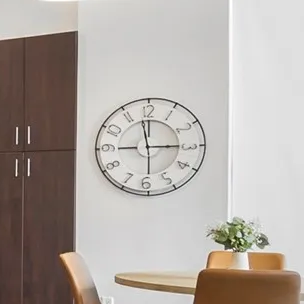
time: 2:58
